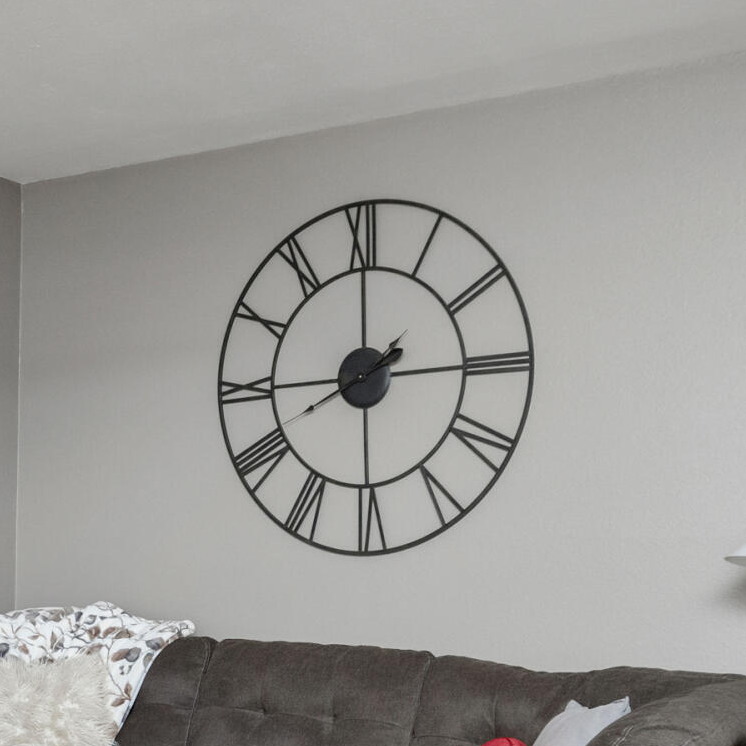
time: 2:00
